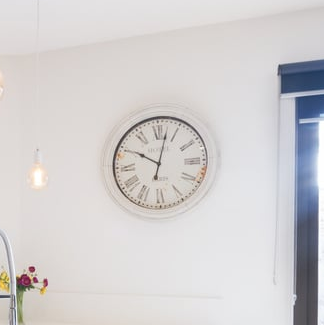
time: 10:02
